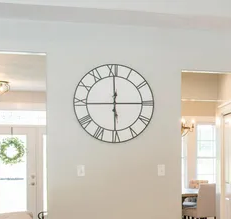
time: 6:00
